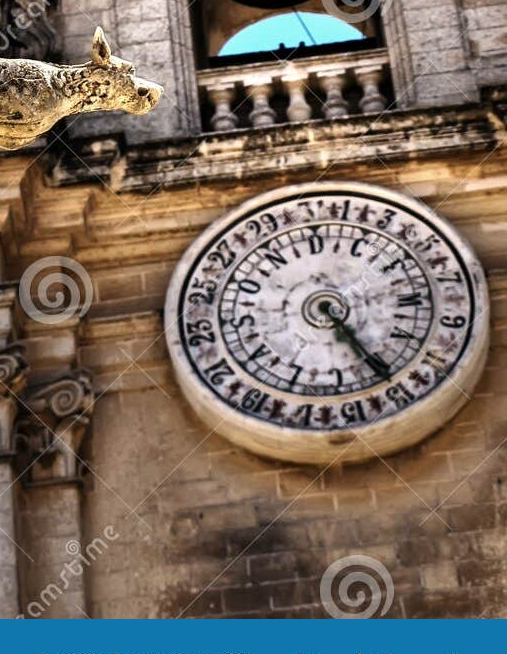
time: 4:23
